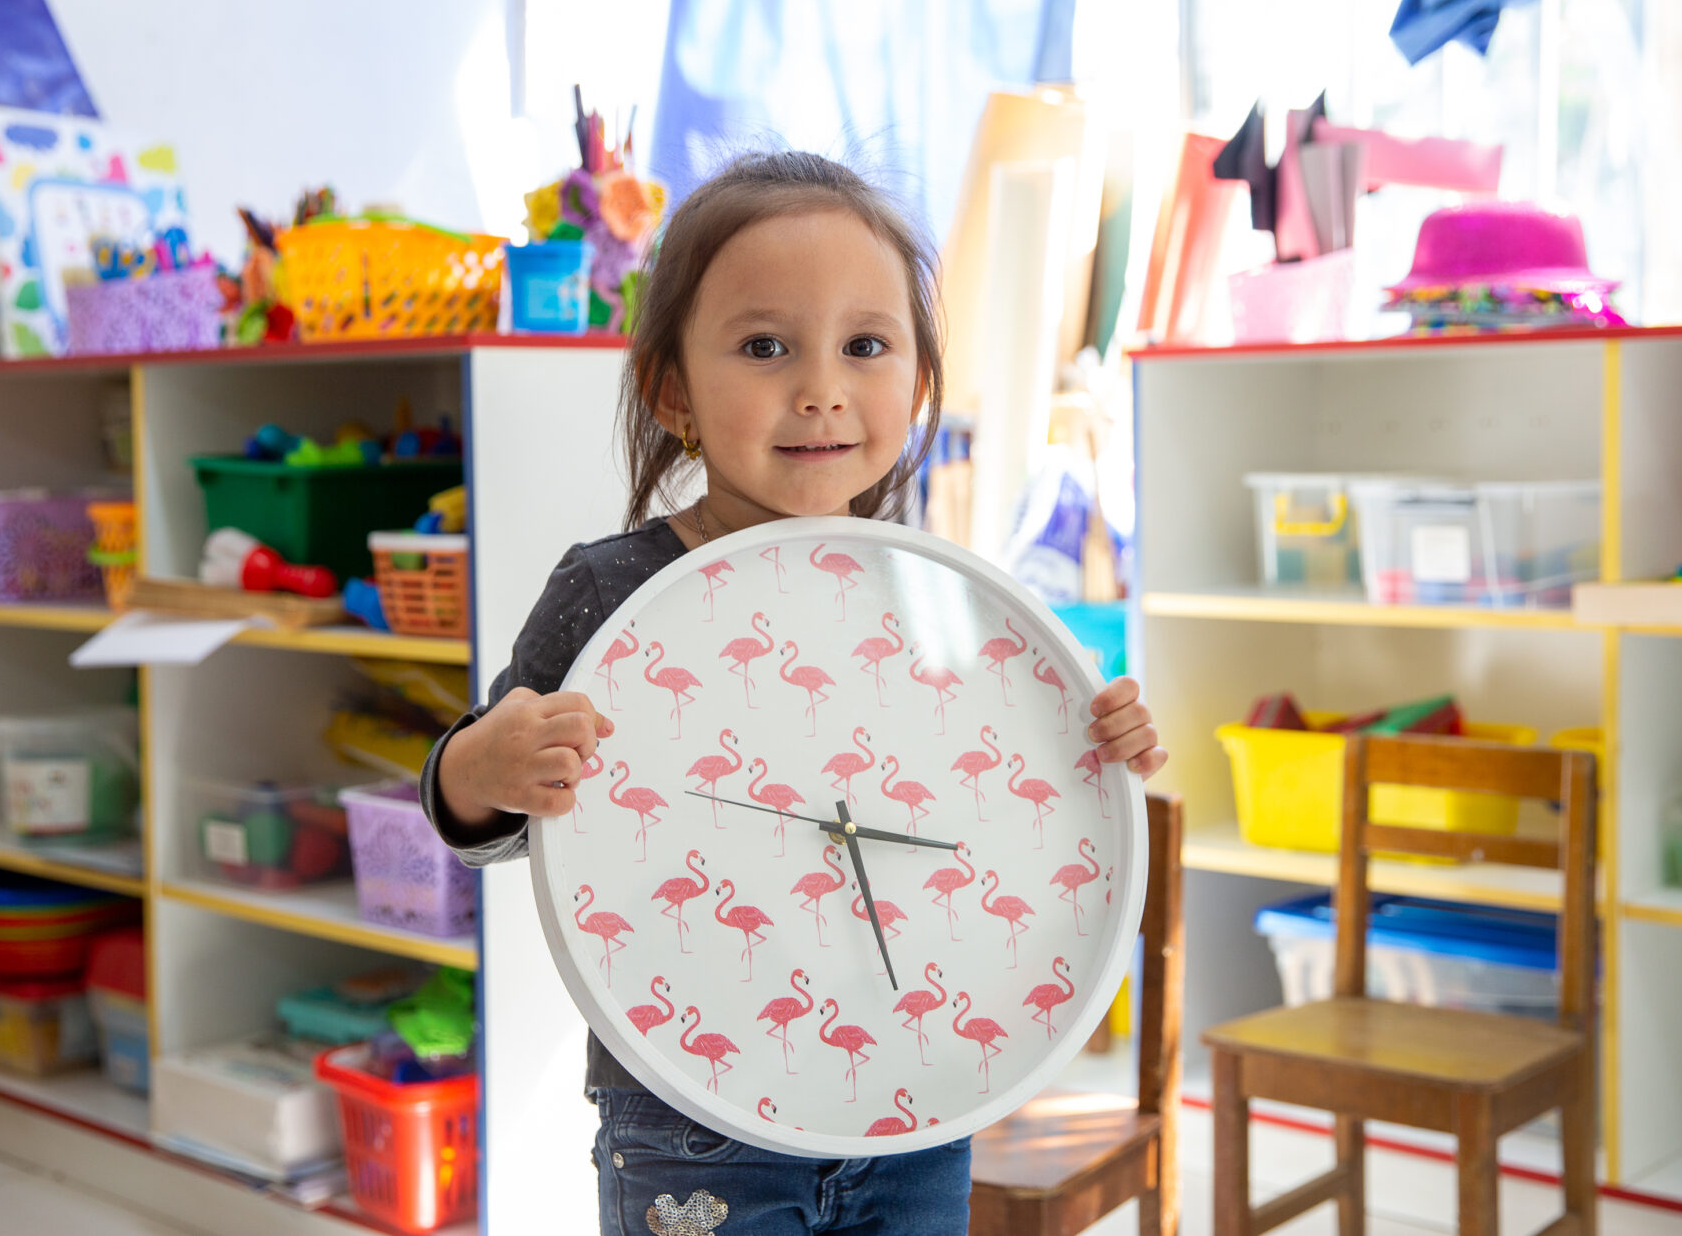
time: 3:27
